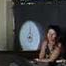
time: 9:01
